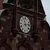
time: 11:13
